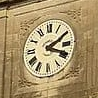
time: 2:18
